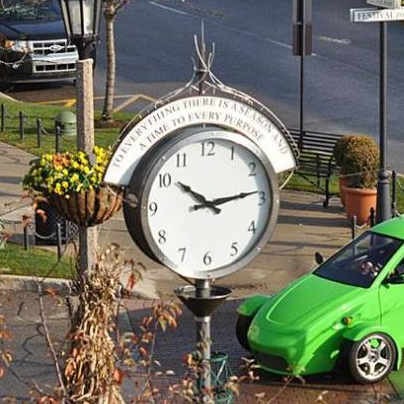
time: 10:13
